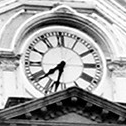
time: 7:32
